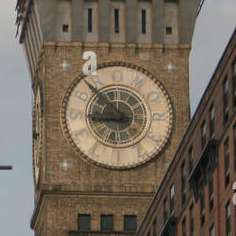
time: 8:53
